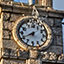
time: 7:40
